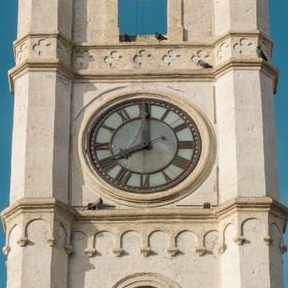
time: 8:00
